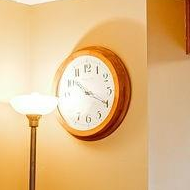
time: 10:19
